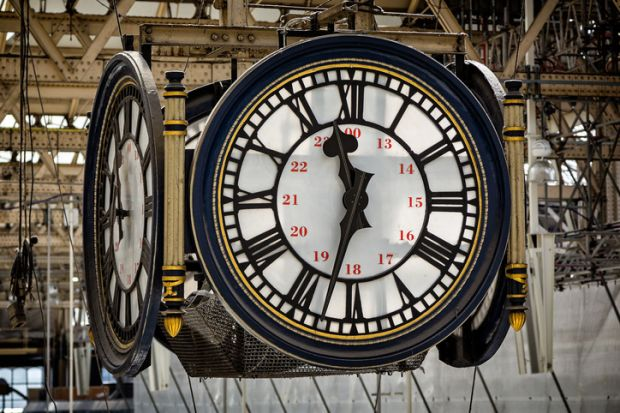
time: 11:32
